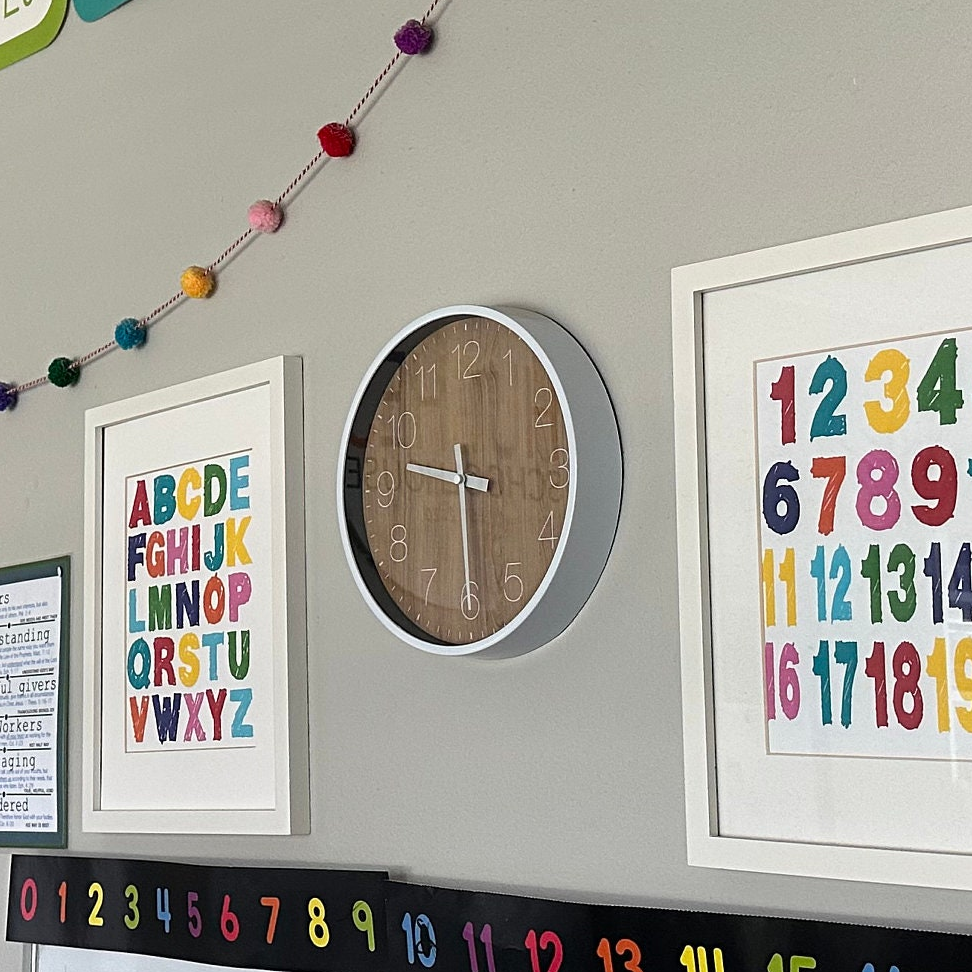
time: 9:30
